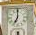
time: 7:00
